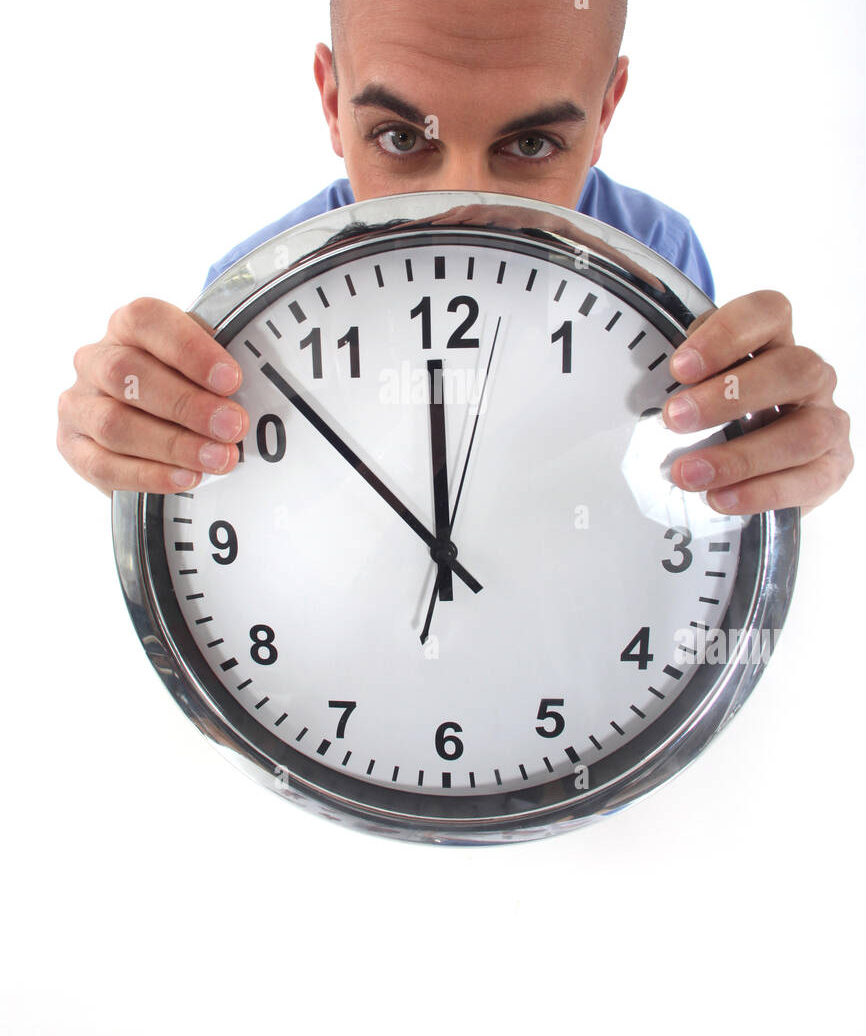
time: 11:52
